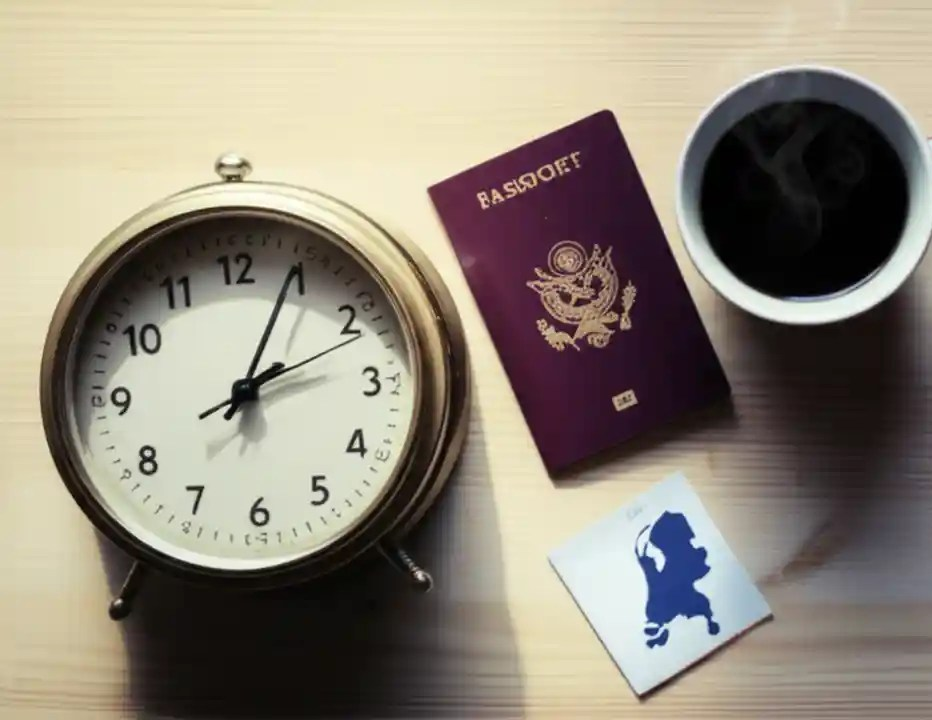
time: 2:04
